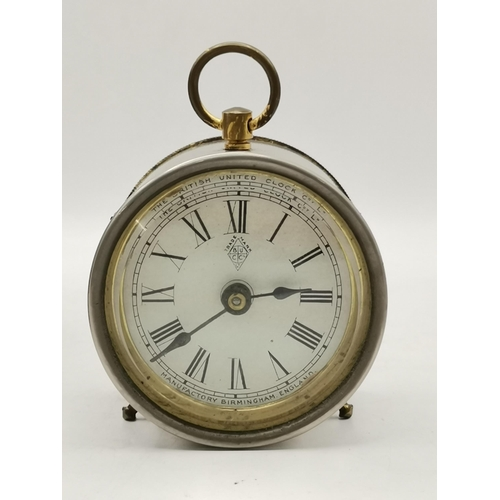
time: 2:38
